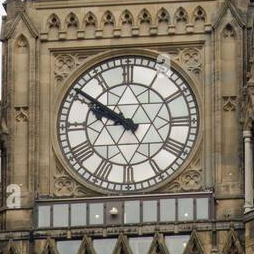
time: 9:50
